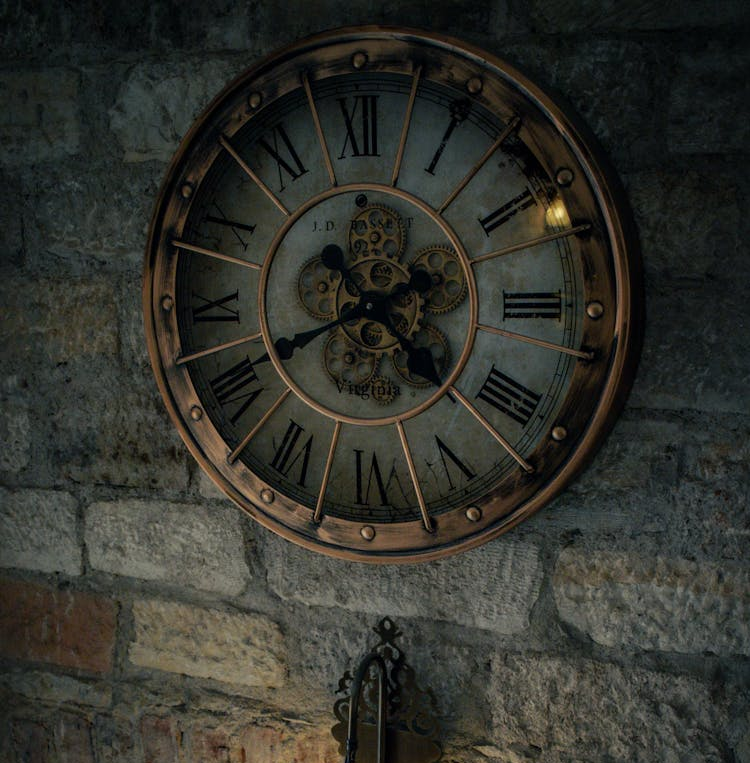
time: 4:40
